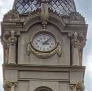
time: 3:08
